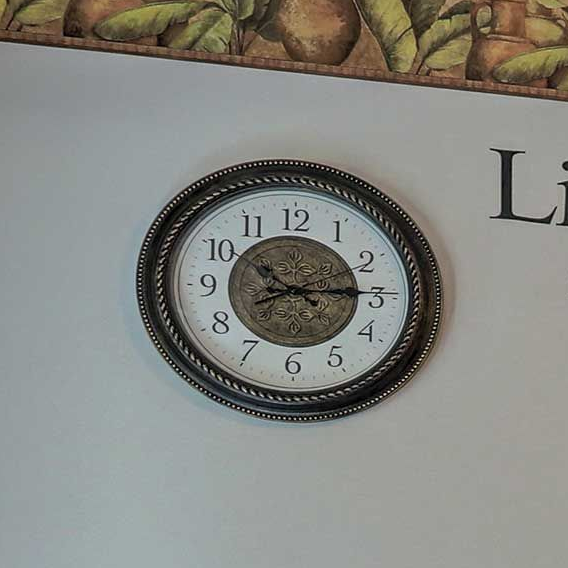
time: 10:14
